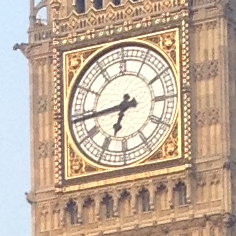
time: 6:44
